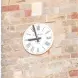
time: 8:56
